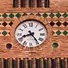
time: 8:24
